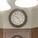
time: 10:24
